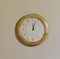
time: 12:03
